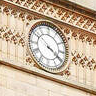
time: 3:51
